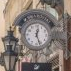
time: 12:26
